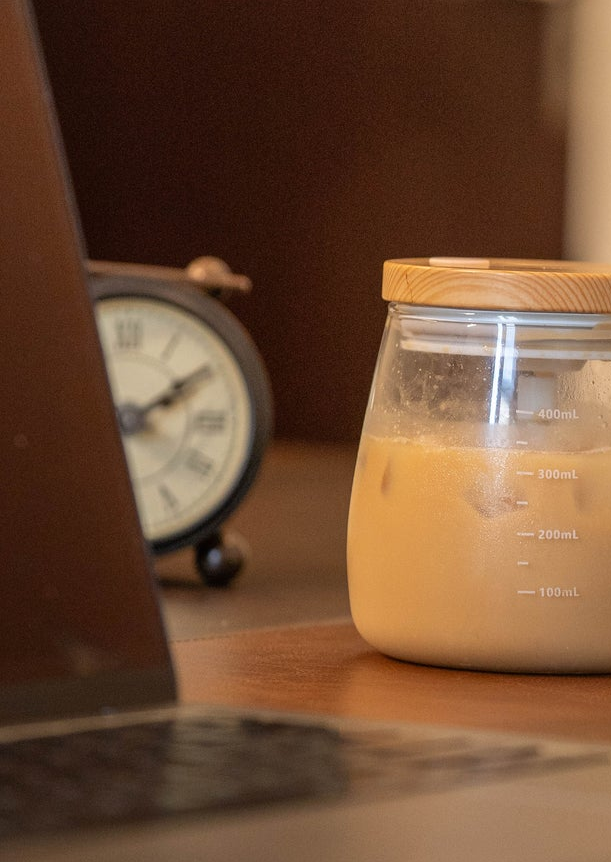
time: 2:09
